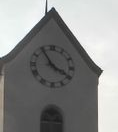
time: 3:54
